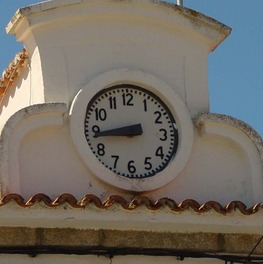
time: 8:43
